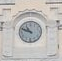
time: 10:48
